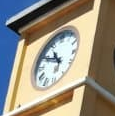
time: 10:49
